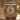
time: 10:37
